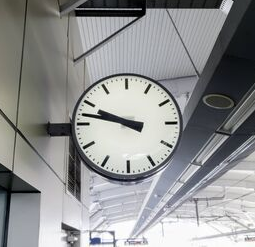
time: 9:47
